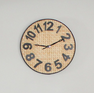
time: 9:10
